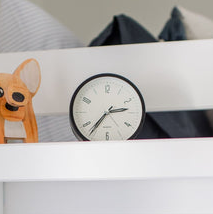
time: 2:36
